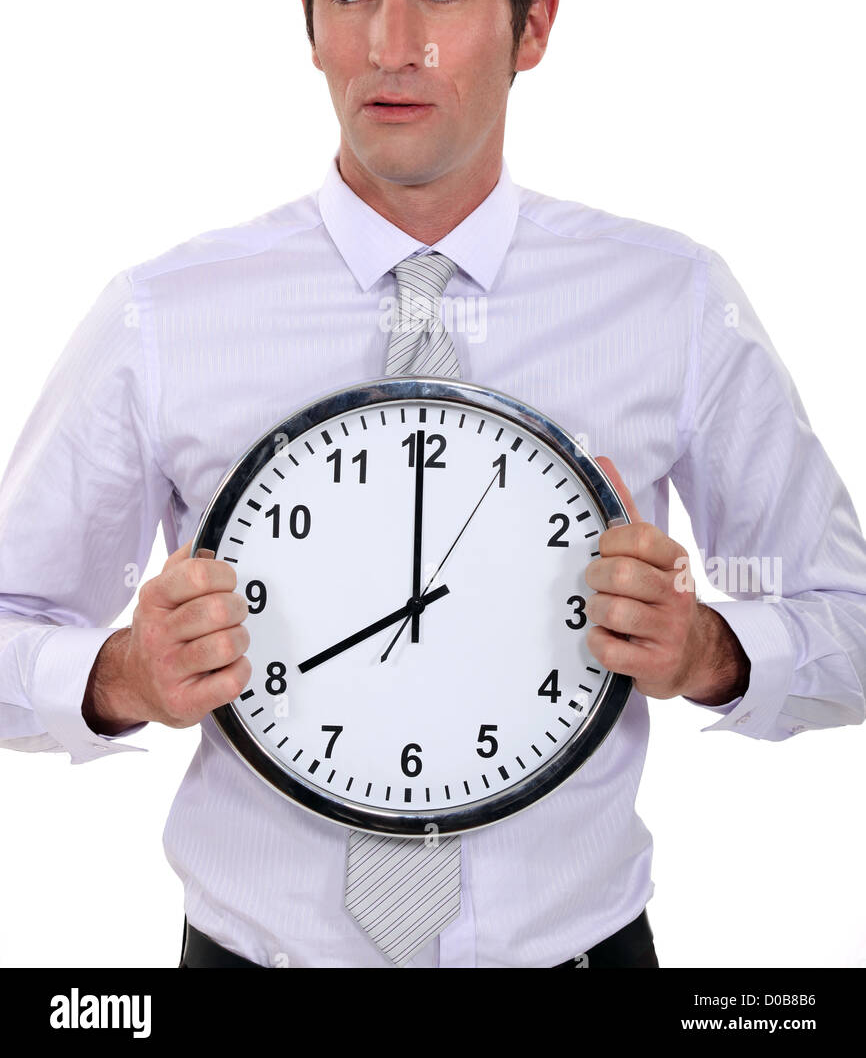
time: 7:59
